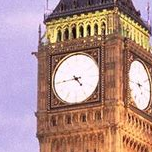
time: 4:44
